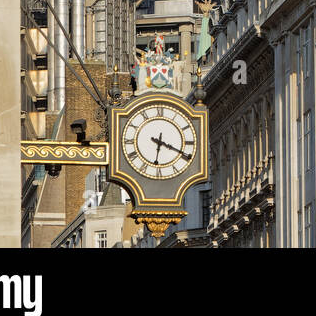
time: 6:18
